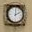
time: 2:00
